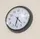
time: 4:32
